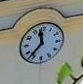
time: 11:36
